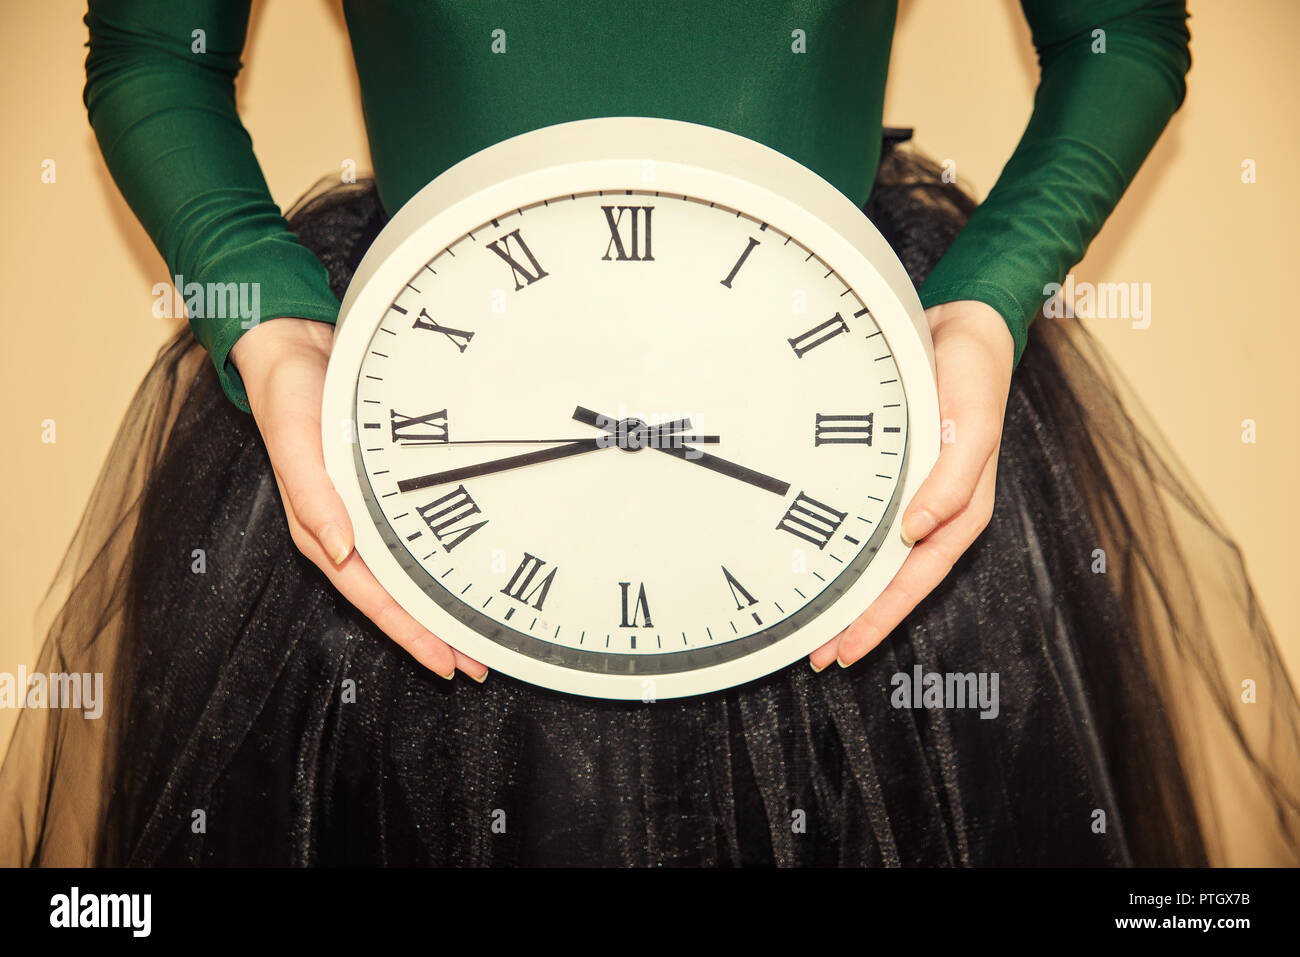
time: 3:42
